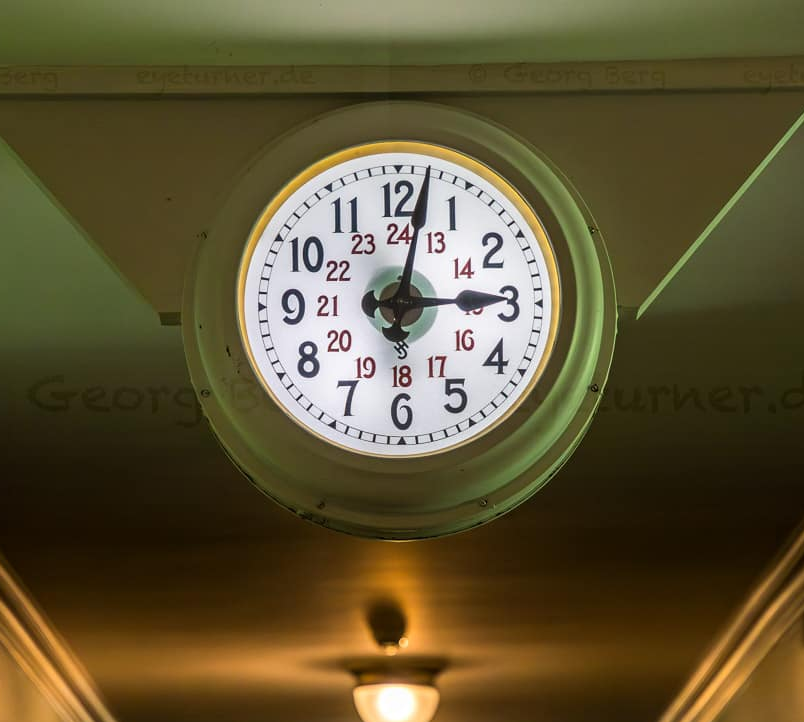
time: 3:01
